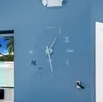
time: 1:28
